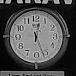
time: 12:26
